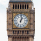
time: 1:01
